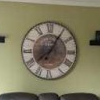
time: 8:05
